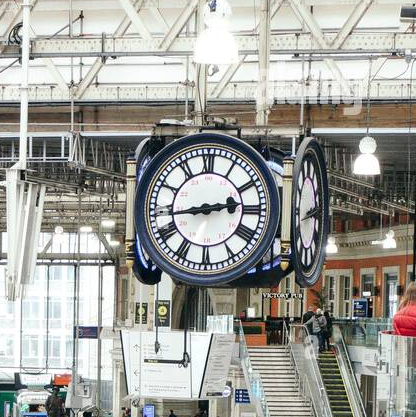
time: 2:43
